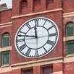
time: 11:47
